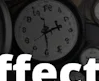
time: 2:29
